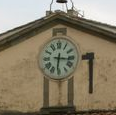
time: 6:16
